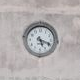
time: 5:18
